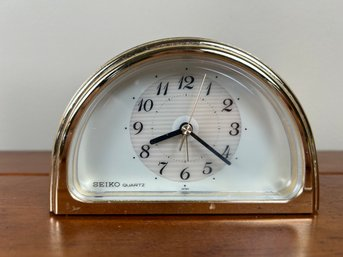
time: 8:21
